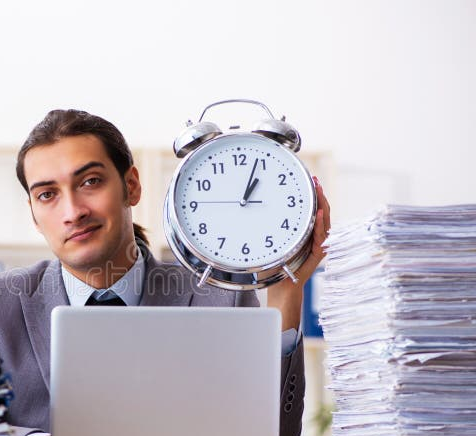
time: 1:03
